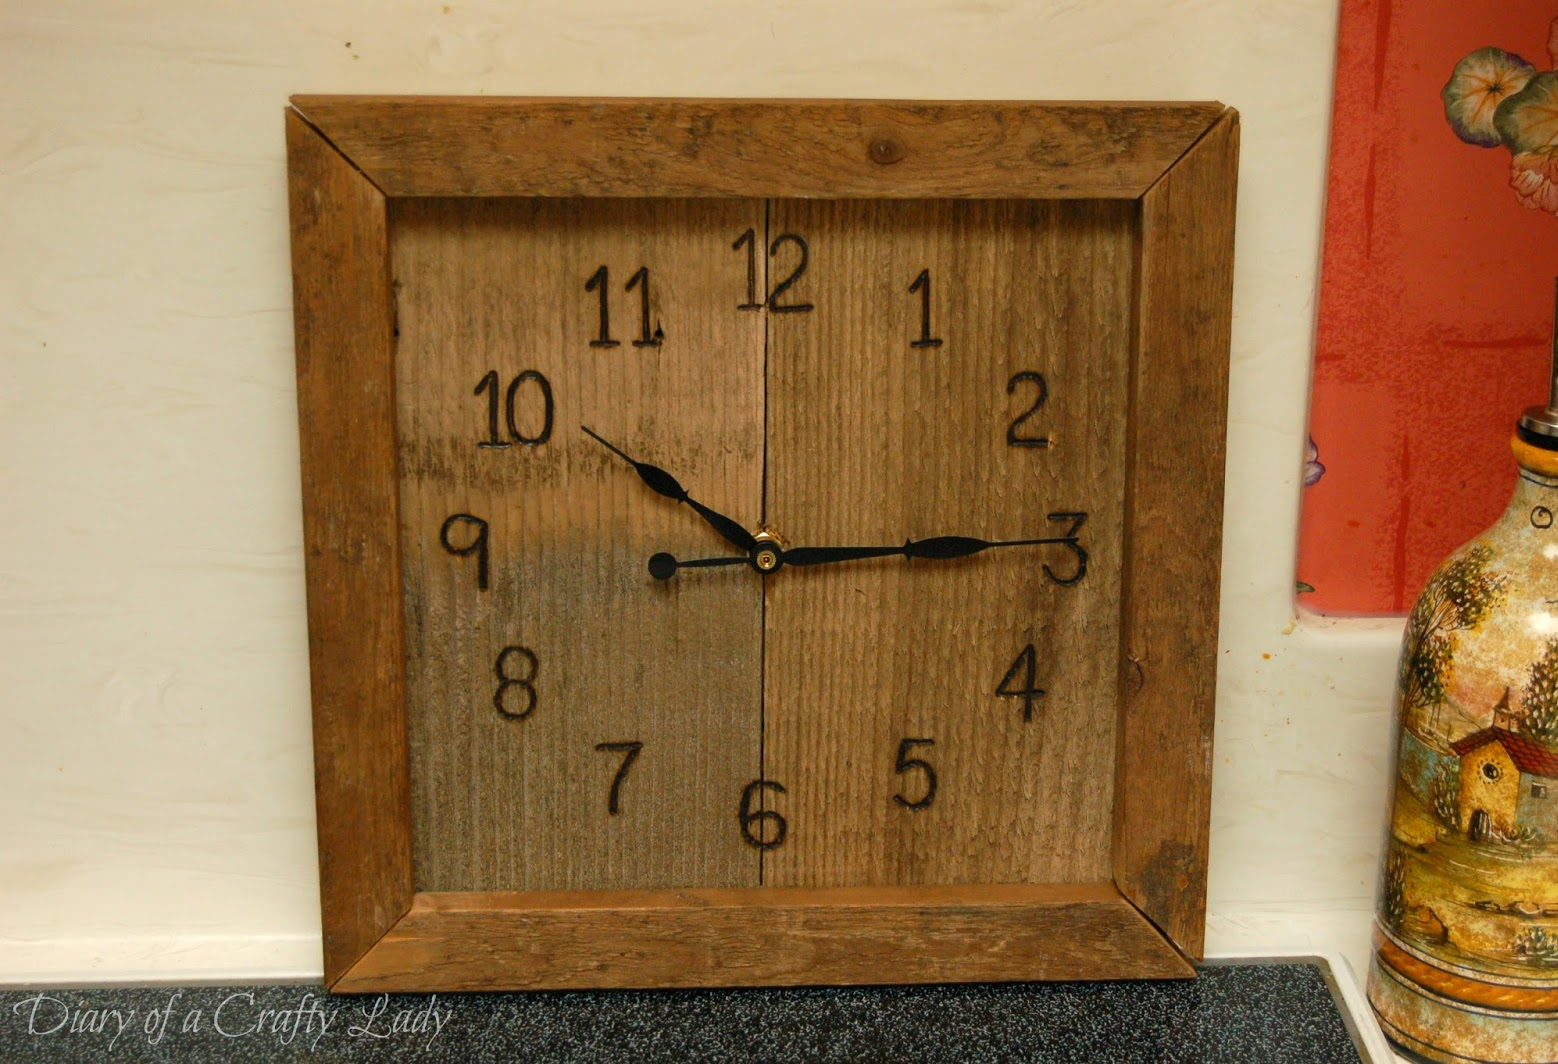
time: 10:14
